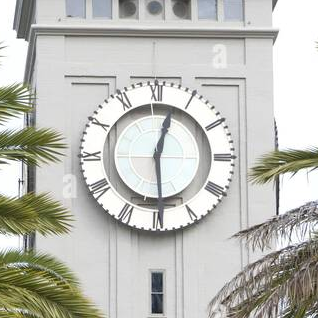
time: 12:29
